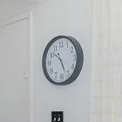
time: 10:26
